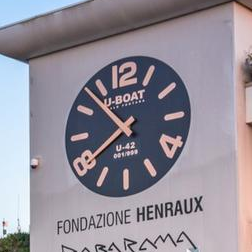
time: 7:53
